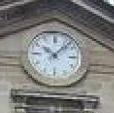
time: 10:07
